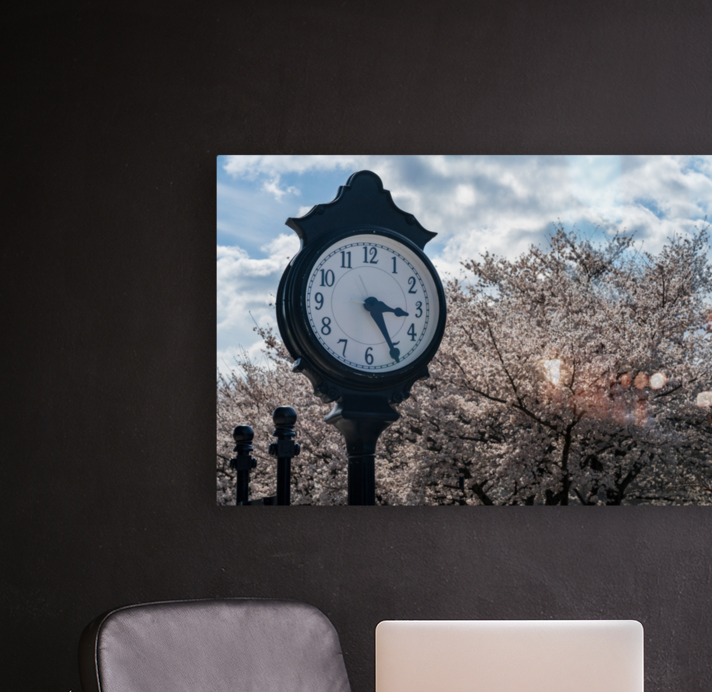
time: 3:24
